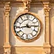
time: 2:43
